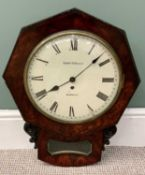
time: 8:08
